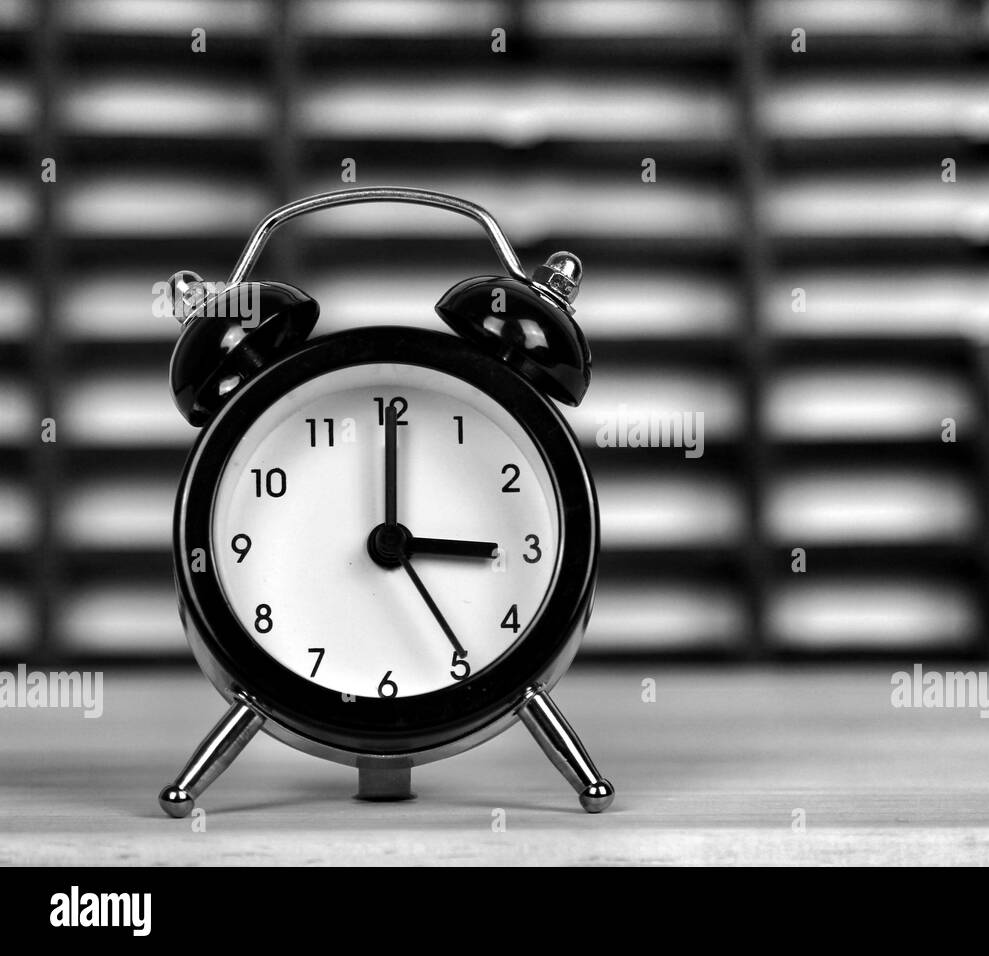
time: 3:00
